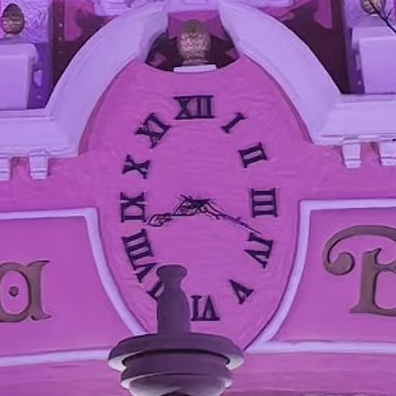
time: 8:18
